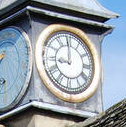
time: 8:59
